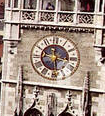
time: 3:29
